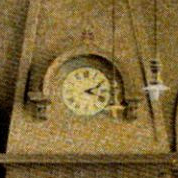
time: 2:18
